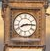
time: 8:14
